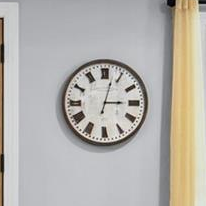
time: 3:02
